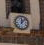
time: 12:07
